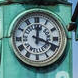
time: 12:18
